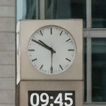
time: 9:50
